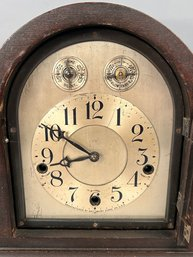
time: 8:50
